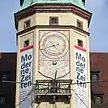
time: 4:42
